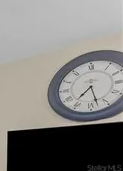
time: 7:27
